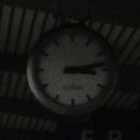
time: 3:12
